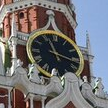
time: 11:17
